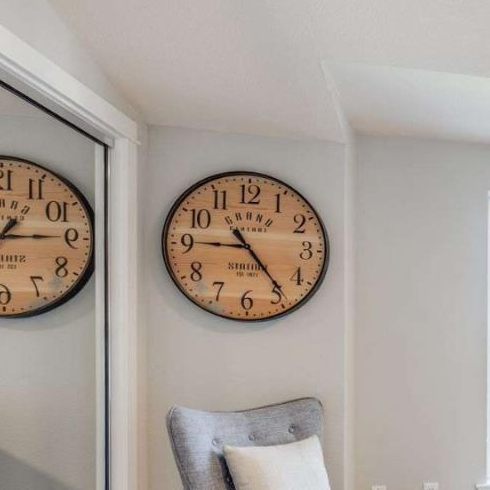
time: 4:45
